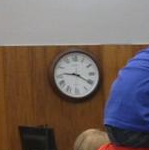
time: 9:20
